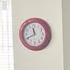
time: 11:40
